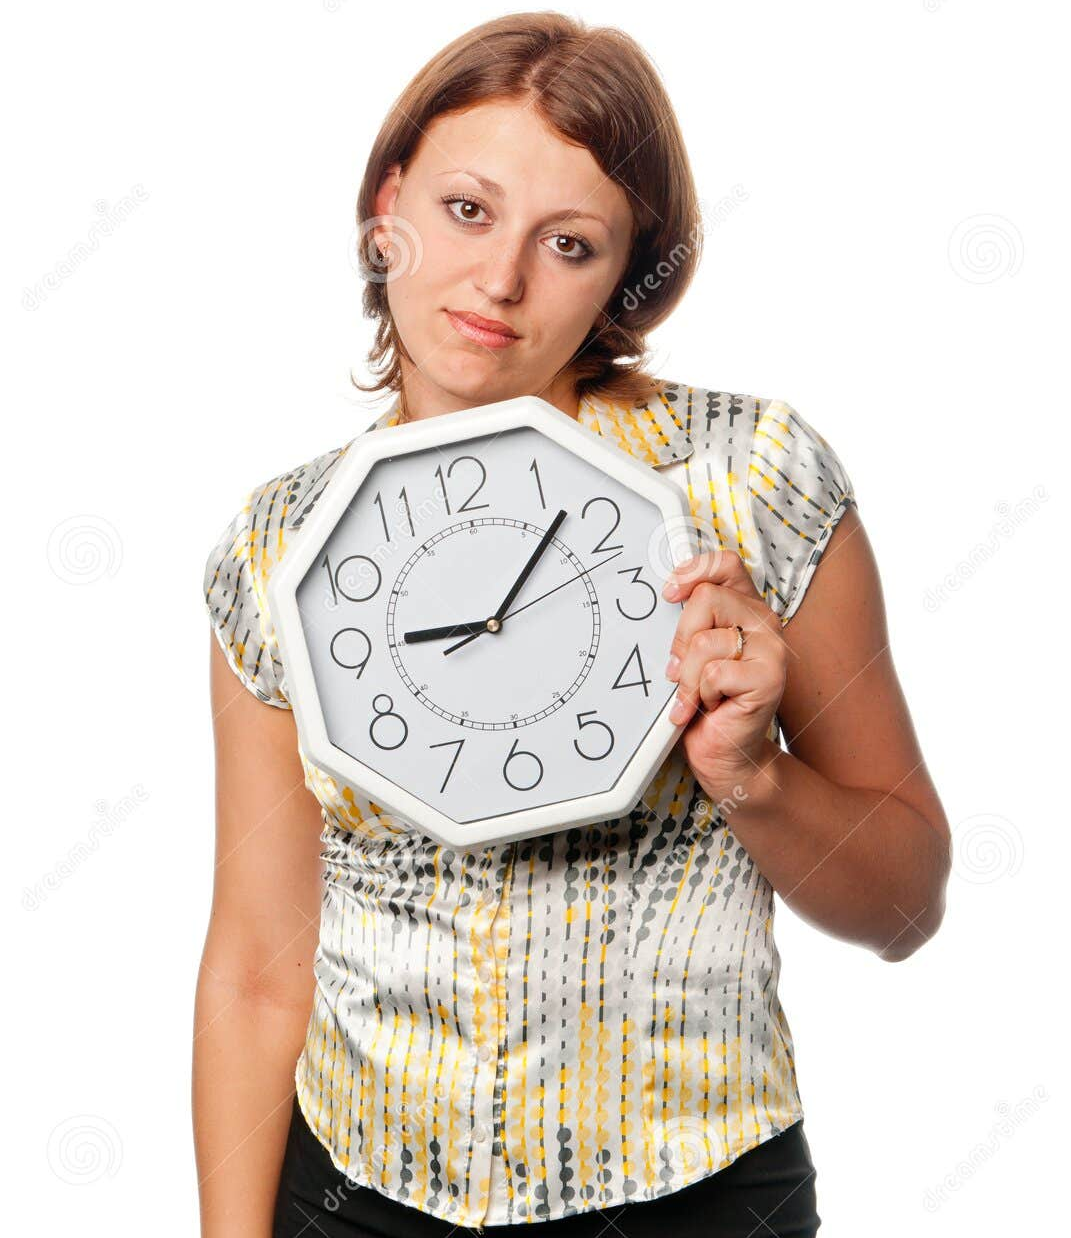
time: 9:07
